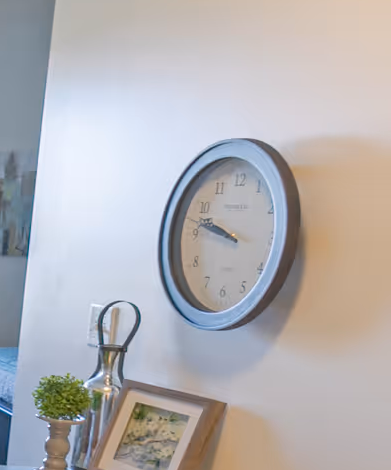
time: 9:47
